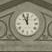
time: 11:55
